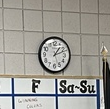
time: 1:11
